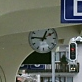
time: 12:46
